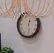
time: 12:28
